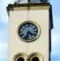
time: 4:33
